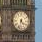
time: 4:32
